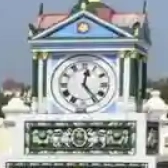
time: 12:23
